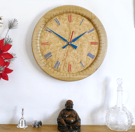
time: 1:50
